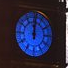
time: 12:00
